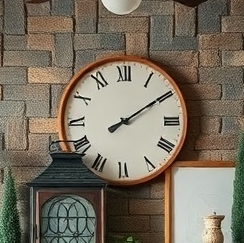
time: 2:09
